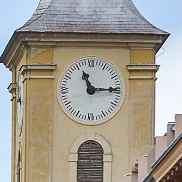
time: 11:14
